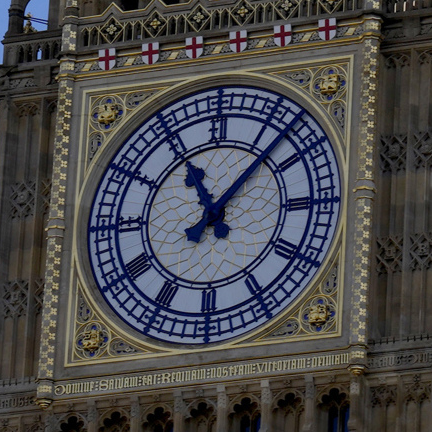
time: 11:07
